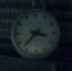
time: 3:37
